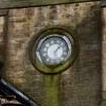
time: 1:28
